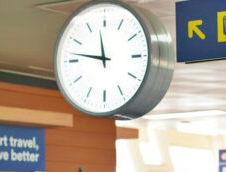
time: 11:46
